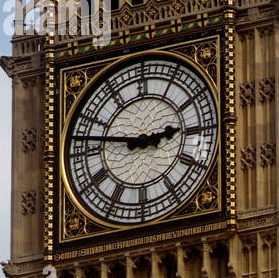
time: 2:47
